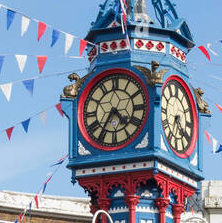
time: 4:35
